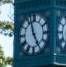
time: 4:57
